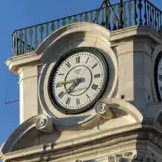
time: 7:45
